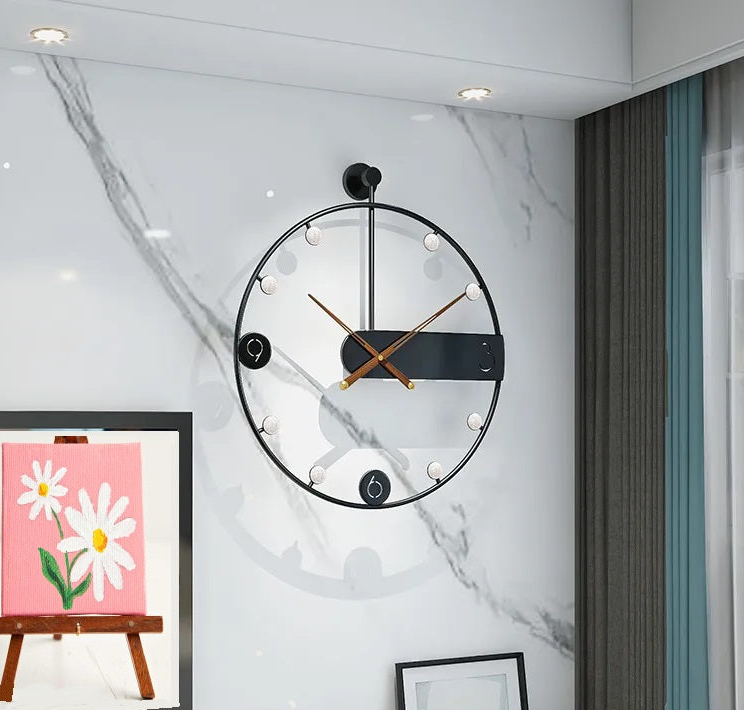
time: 3:00
